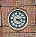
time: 4:13
